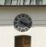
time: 4:17
